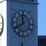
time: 11:40
